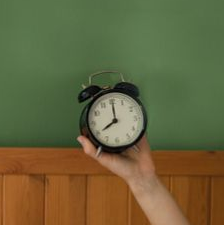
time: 8:00
